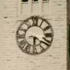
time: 6:20
